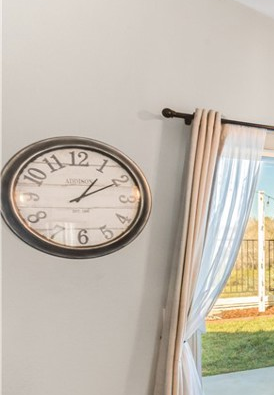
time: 1:10
